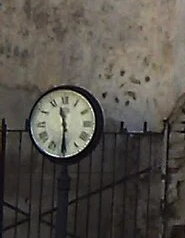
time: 11:30
